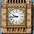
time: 9:43
